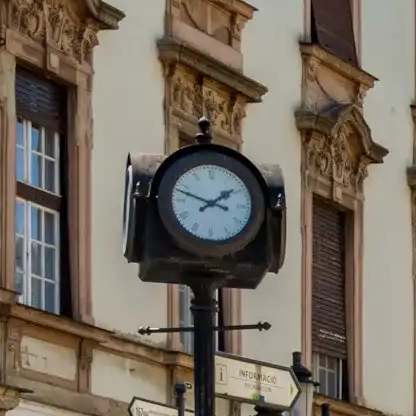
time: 1:47
